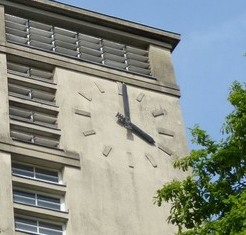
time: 4:00
